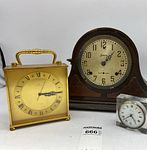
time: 3:14
